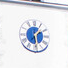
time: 1:28
